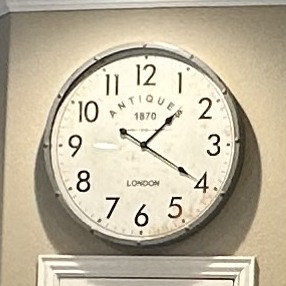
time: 1:20
